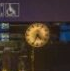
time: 4:34
